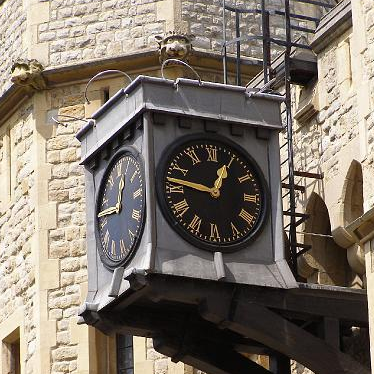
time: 12:46
